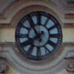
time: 7:53
